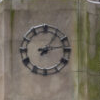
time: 1:13
